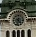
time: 12:23
